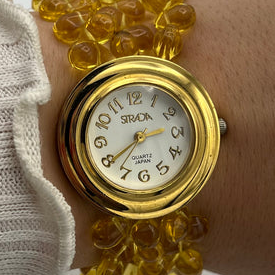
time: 2:39
